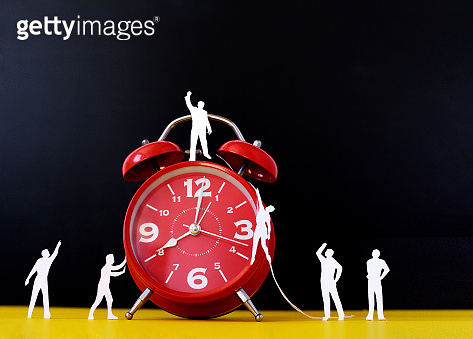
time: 8:01
